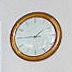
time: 1:45
